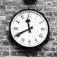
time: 11:40
